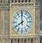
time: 7:59
